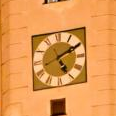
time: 5:10
